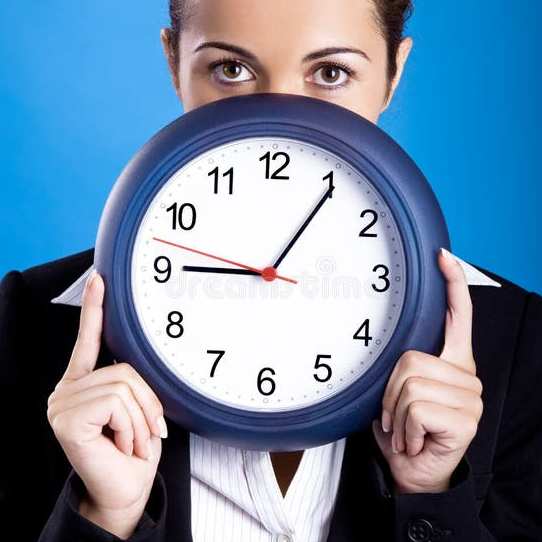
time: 9:05
